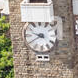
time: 9:40
